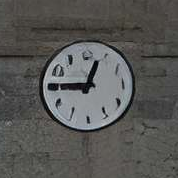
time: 12:45
